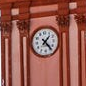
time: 1:23
